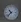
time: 10:37
